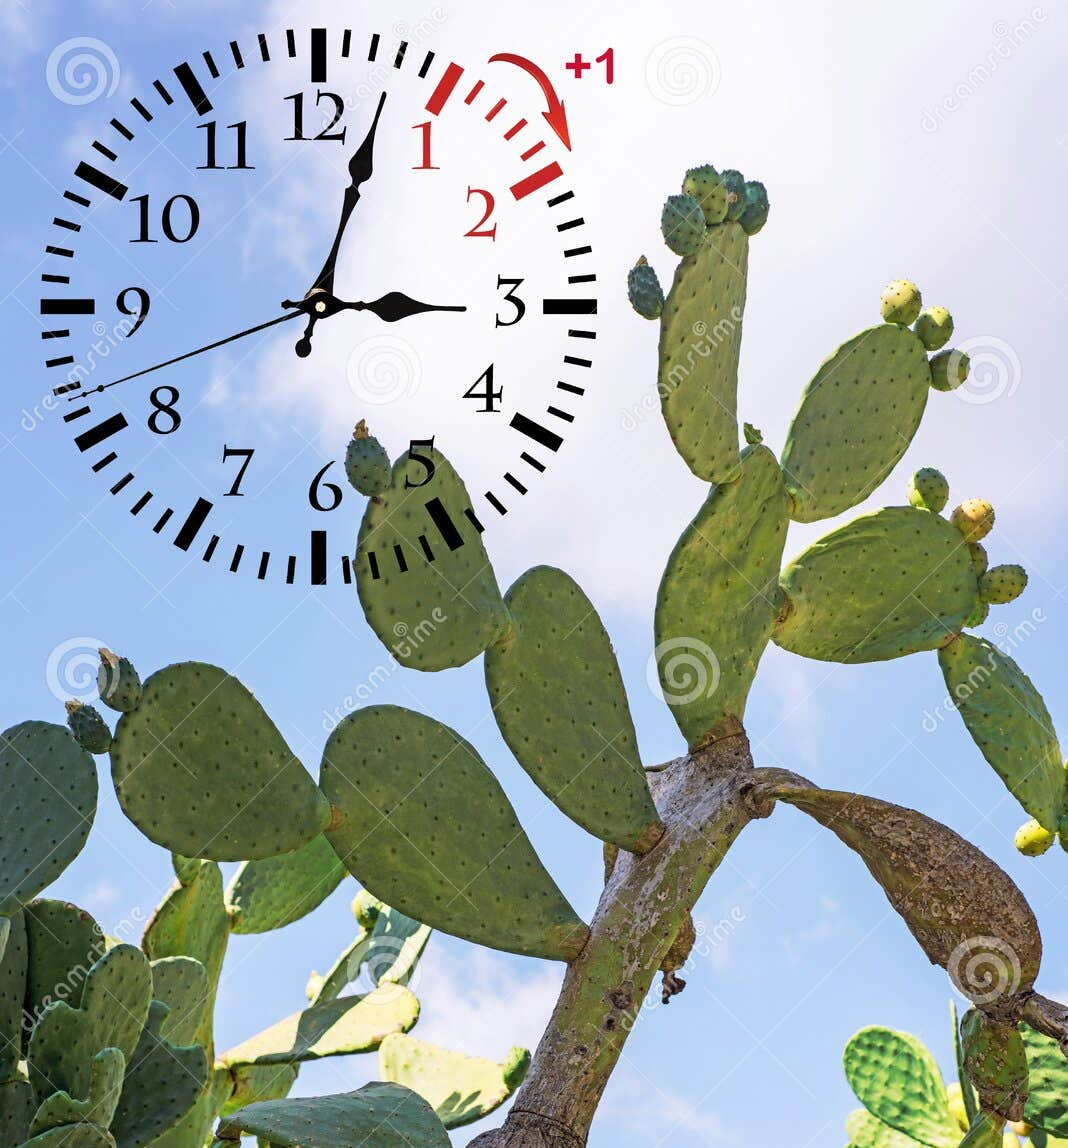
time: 3:02
